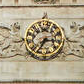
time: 7:15
